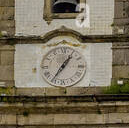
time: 1:36
